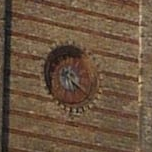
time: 6:21
